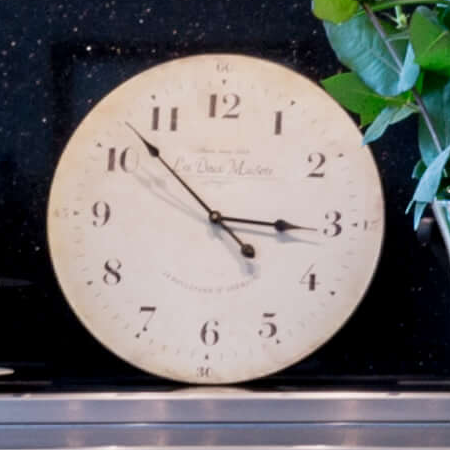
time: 2:52
